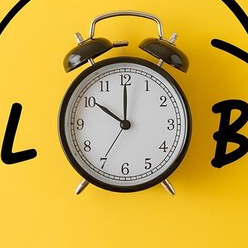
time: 10:00
